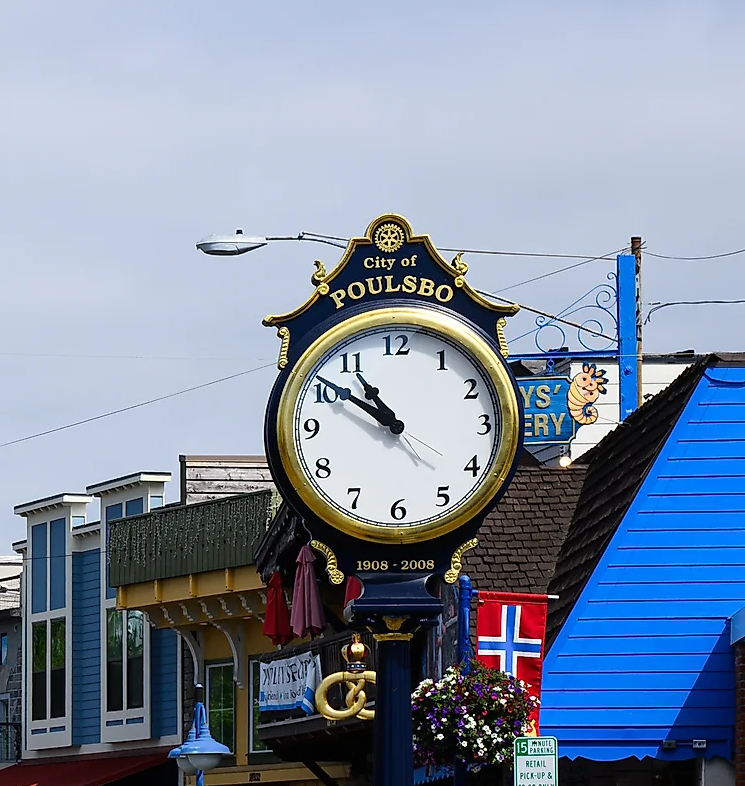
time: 10:50
